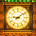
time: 9:09
